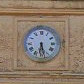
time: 5:31
